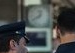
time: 12:40
